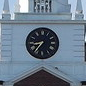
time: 8:36
